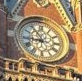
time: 10:43
